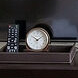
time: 10:08
